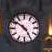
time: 4:50
